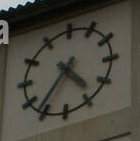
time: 4:36
